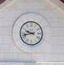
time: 9:42
